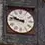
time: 9:47
